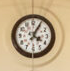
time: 4:04
